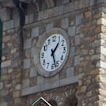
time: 1:26
